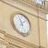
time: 11:07
